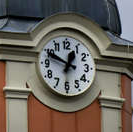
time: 12:48
